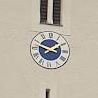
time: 1:47
